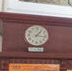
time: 1:16
